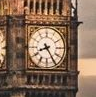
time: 8:24
